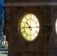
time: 10:44
